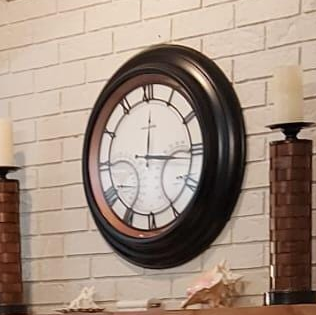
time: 12:15
